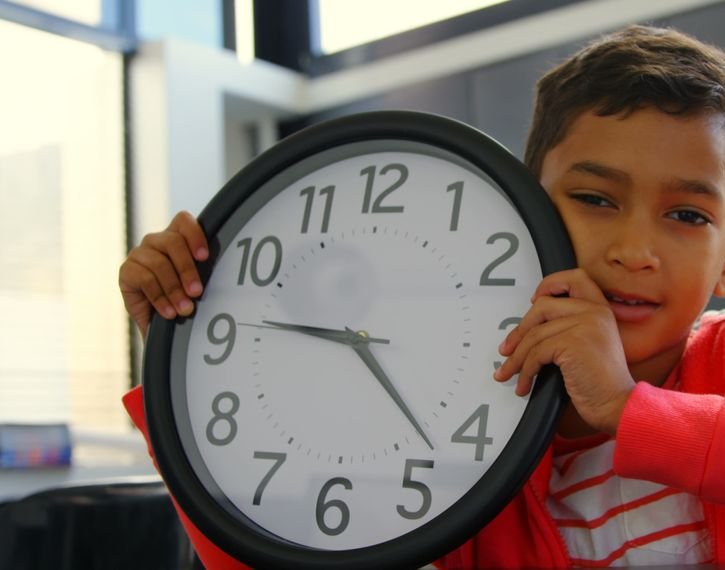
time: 9:22
